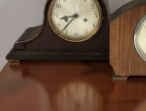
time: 8:36
